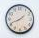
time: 1:41
